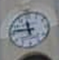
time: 11:46
